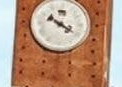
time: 10:20
